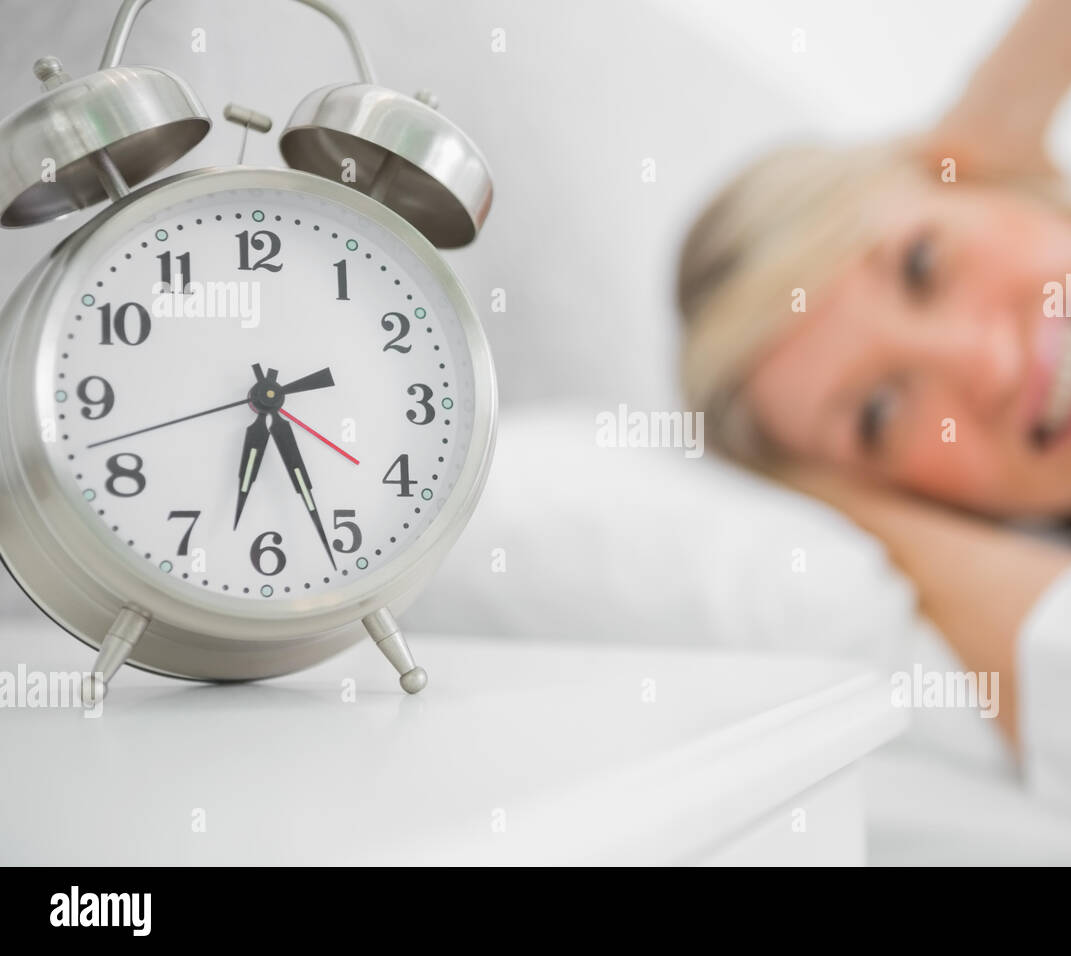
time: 6:26
